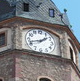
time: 1:42
